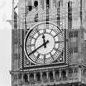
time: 11:40
